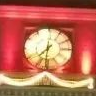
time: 7:31
